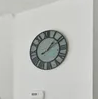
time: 1:09
